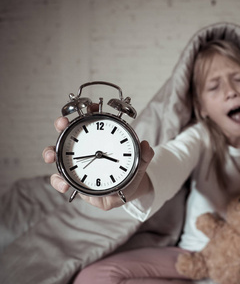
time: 3:43
